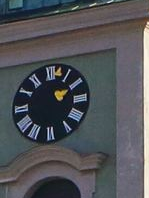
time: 2:09
